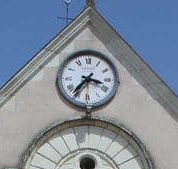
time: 3:36
